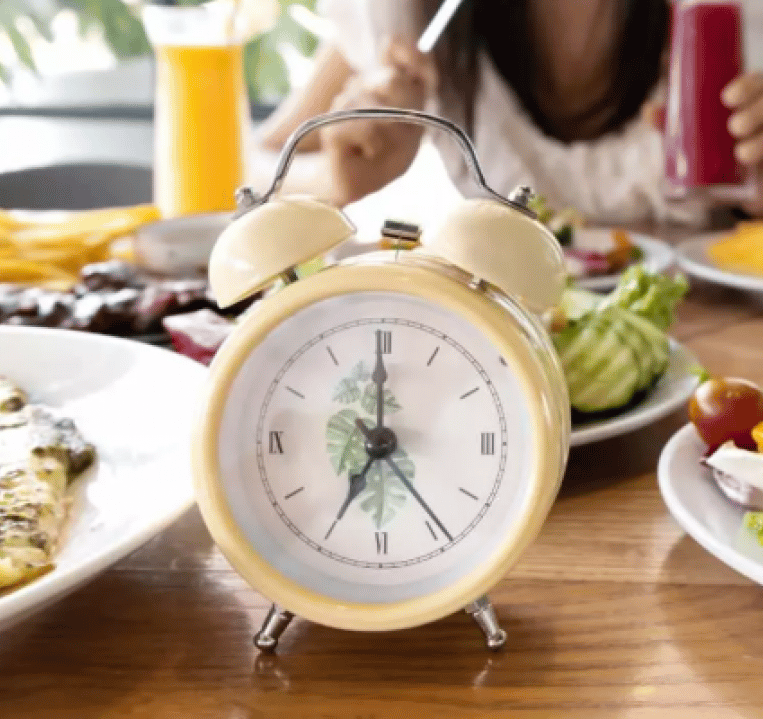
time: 7:00
